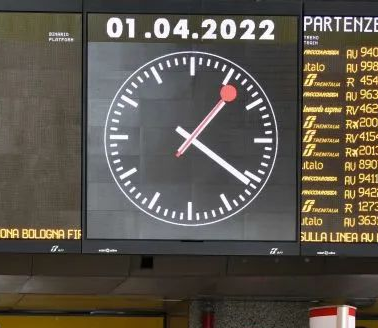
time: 1:21
